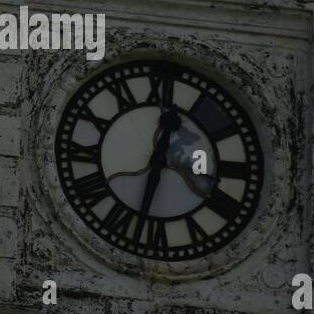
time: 12:32
